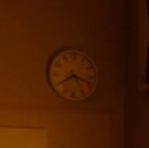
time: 3:39
